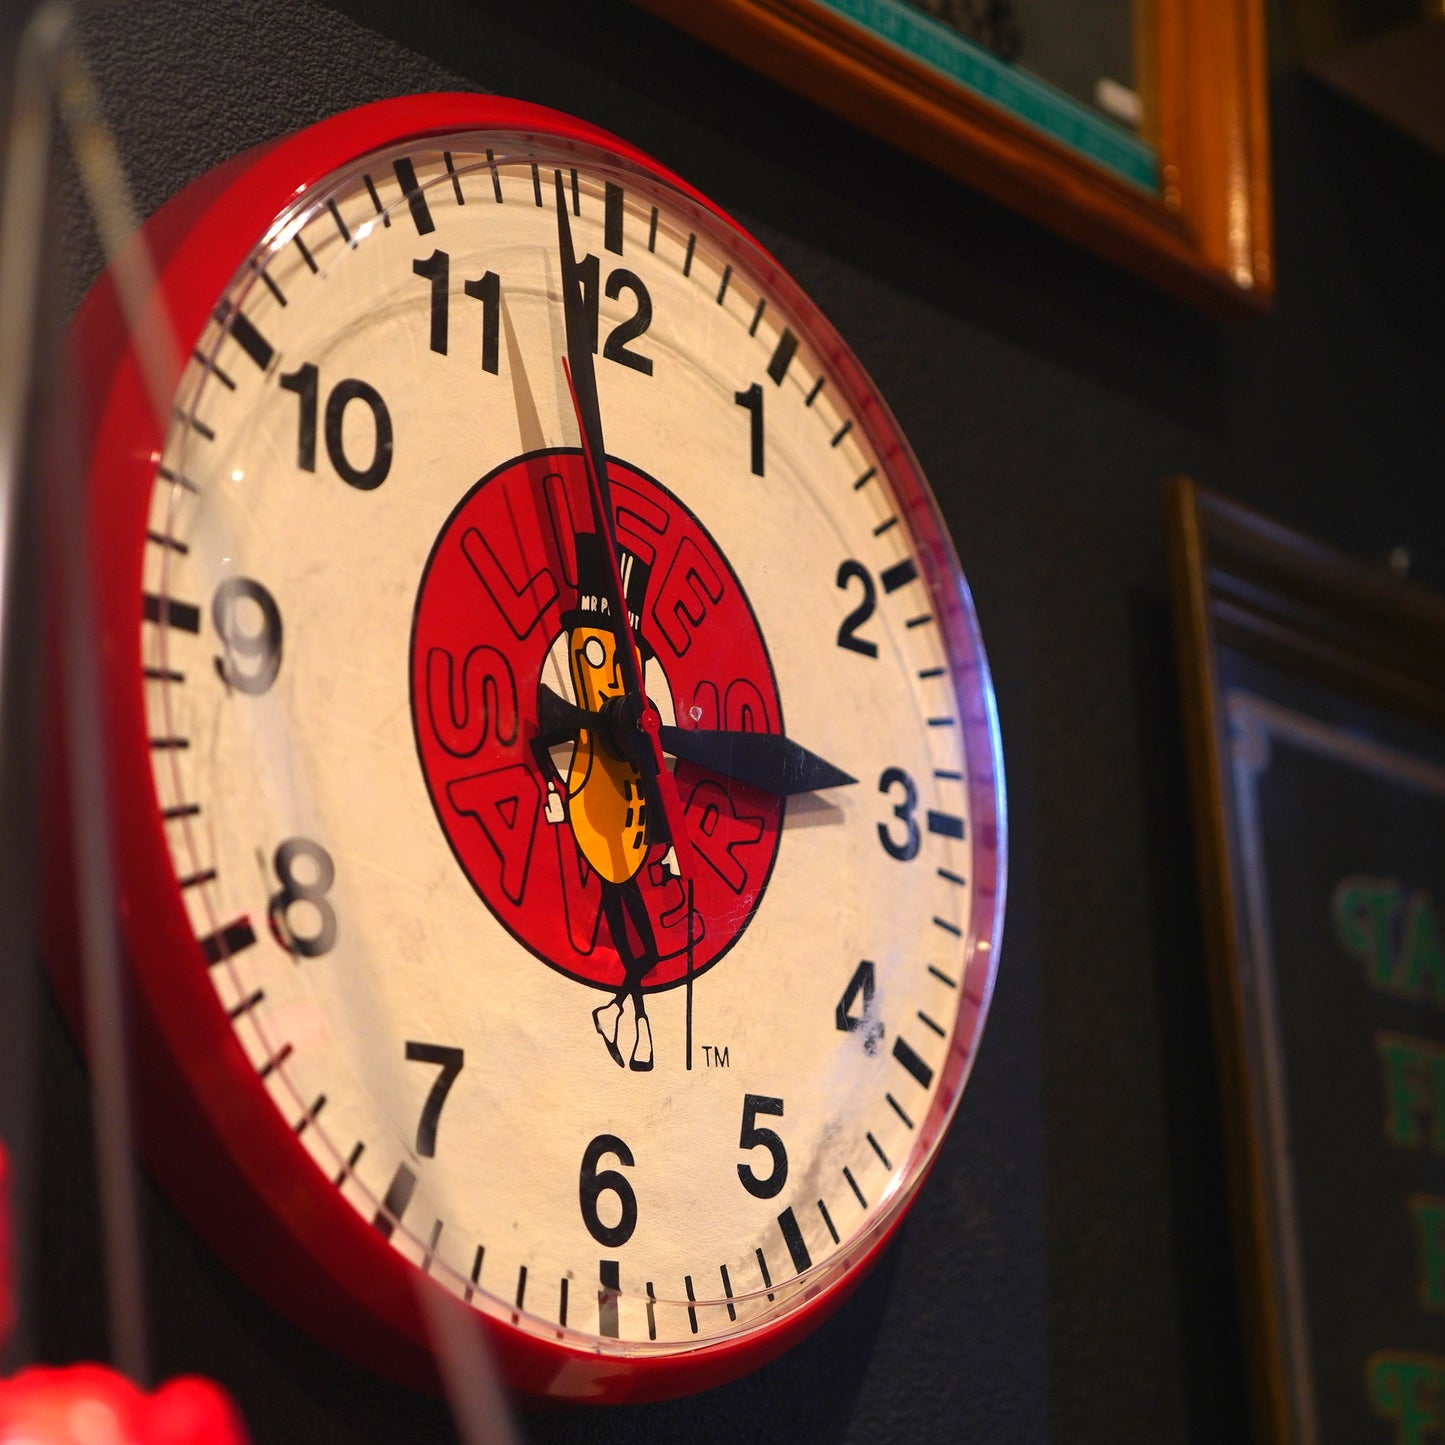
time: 2:58
